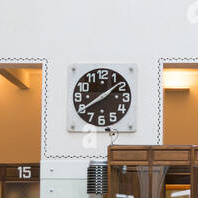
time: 1:39
